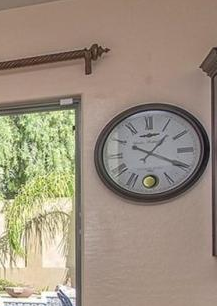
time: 1:19
